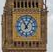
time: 11:04
